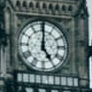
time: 5:00
